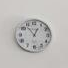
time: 12:53
